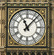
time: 11:07
